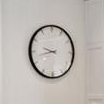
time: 9:42
